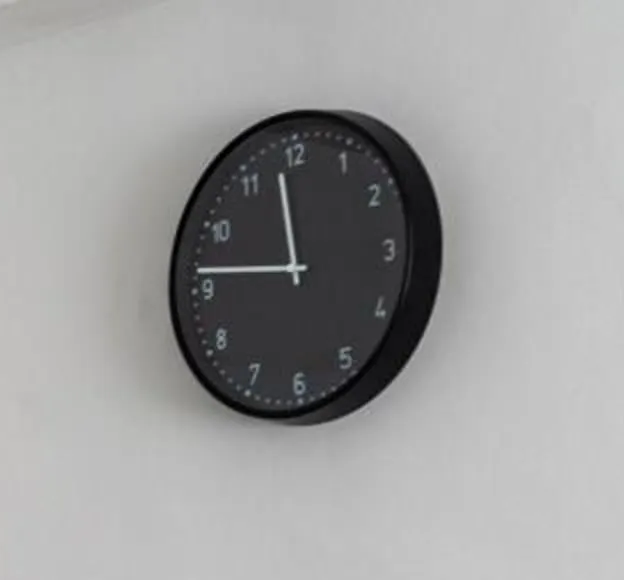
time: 11:46
